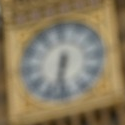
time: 6:32
